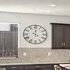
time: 4:01
